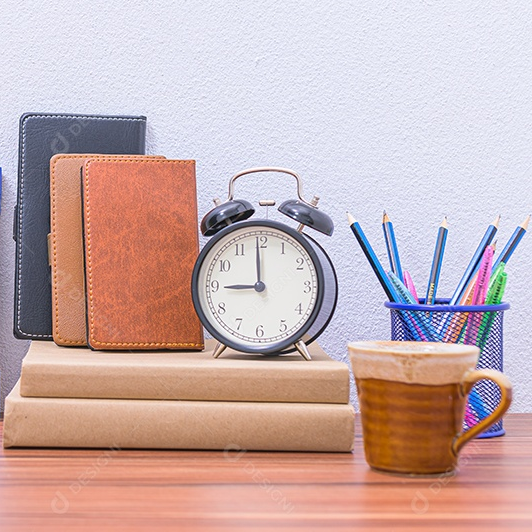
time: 8:59
